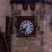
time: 7:33
